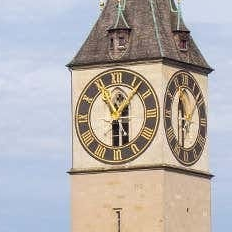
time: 6:06
